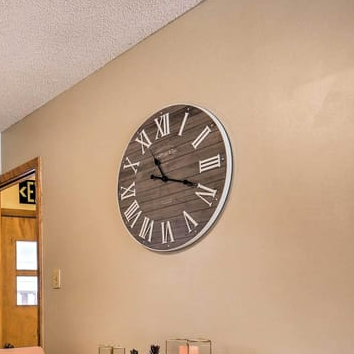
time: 11:18
